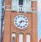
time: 2:34
